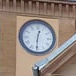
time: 12:30
